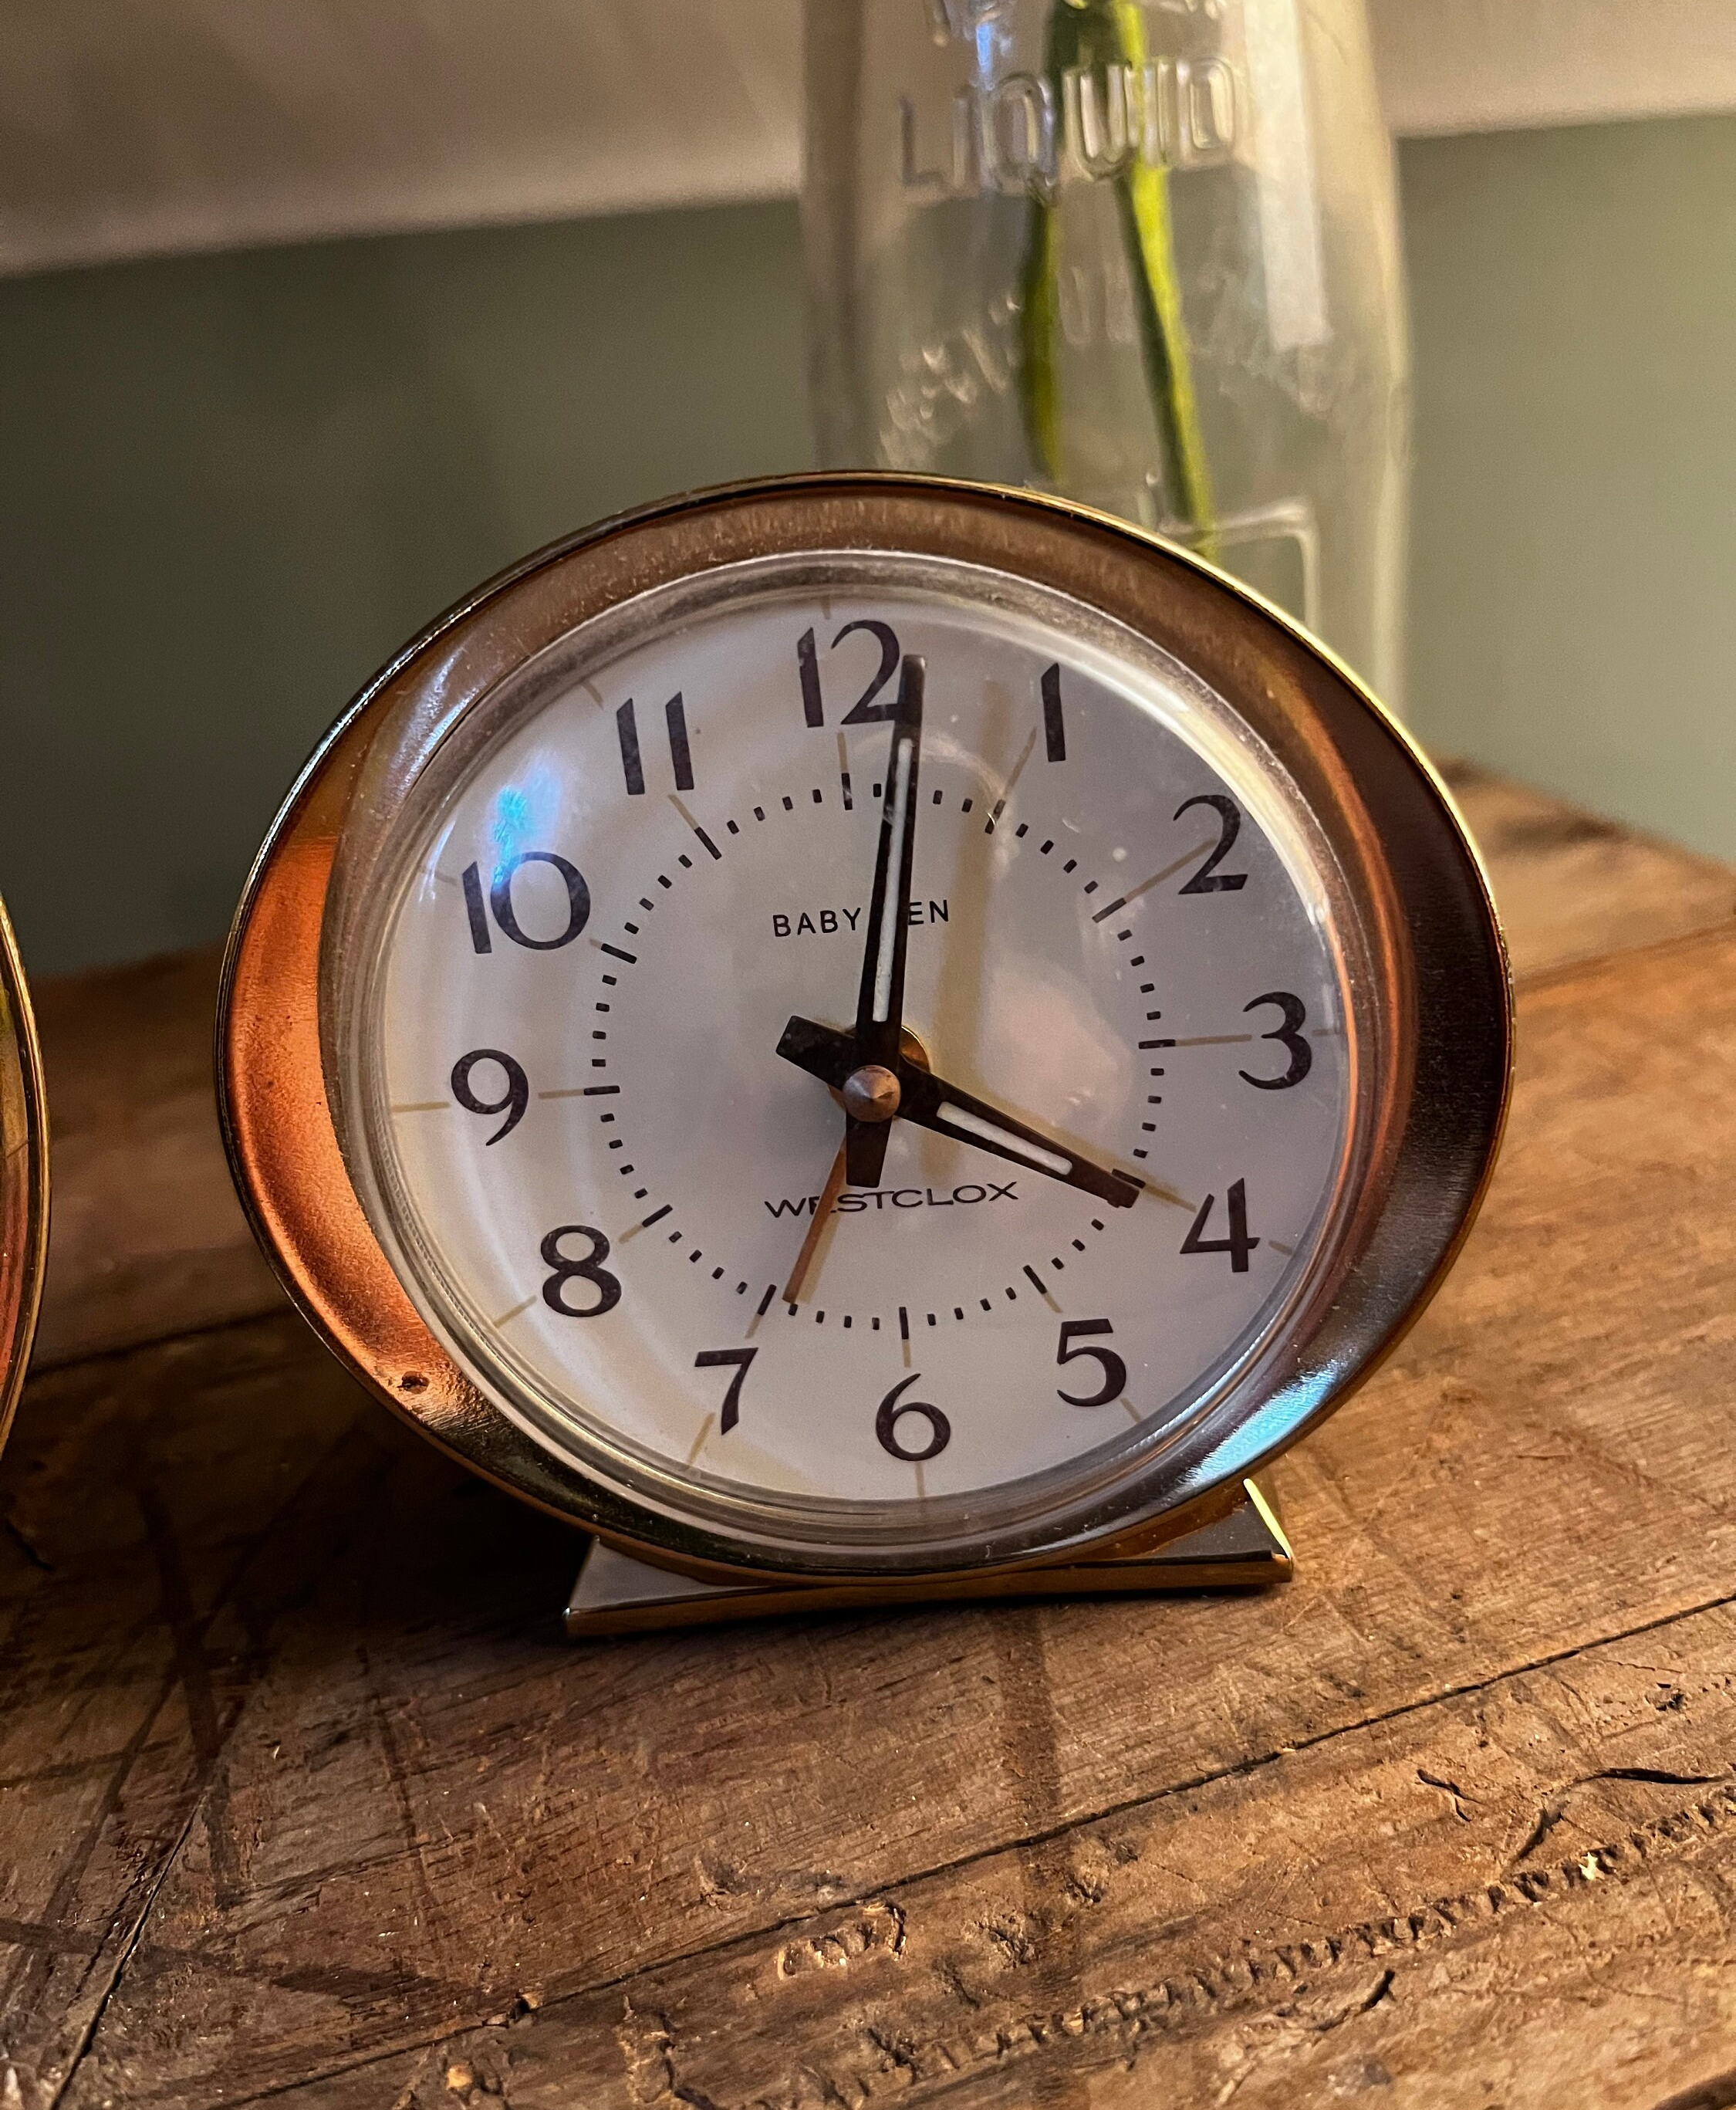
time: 4:01
